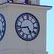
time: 4:42
